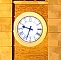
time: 9:33
